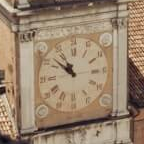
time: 10:51
